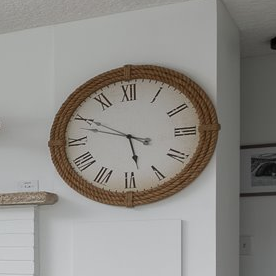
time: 5:49
